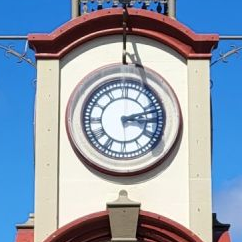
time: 3:12
